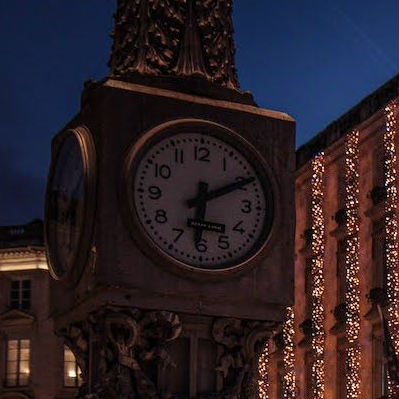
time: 6:10
